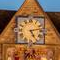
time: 5:12
